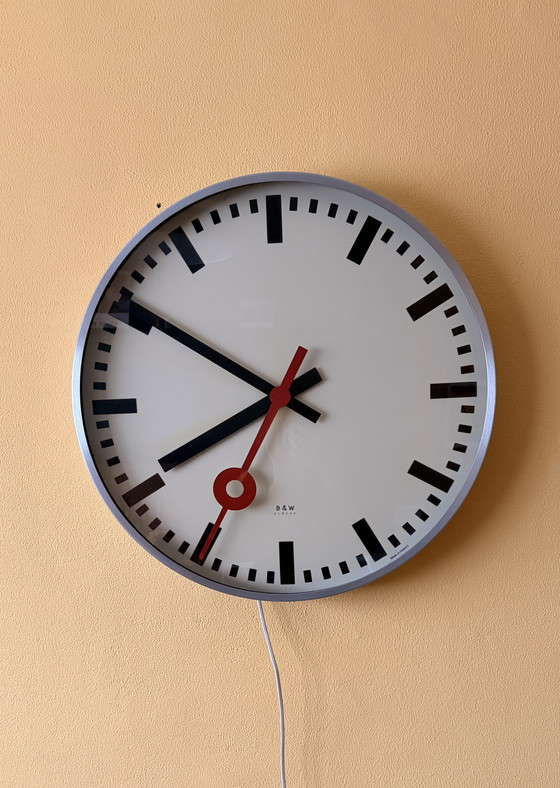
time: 7:50
